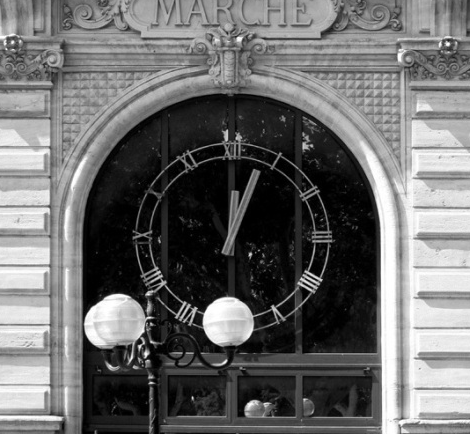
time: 12:03
